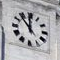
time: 11:53
